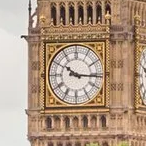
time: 10:15
